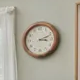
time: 3:11
